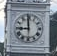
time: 8:59
